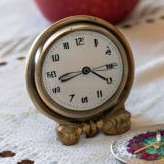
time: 8:20
